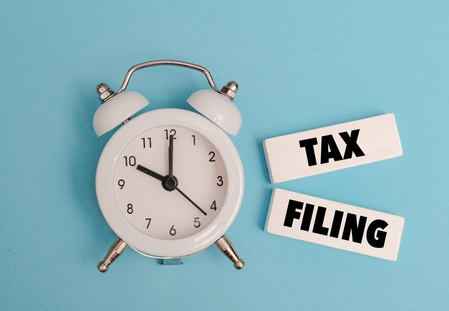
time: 10:00
